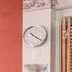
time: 10:20
